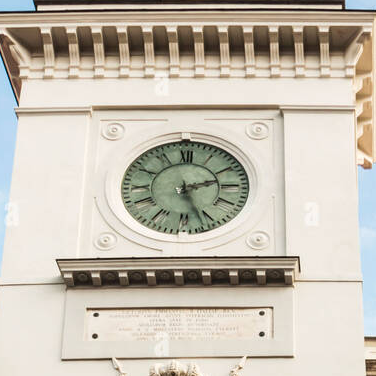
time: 2:26
